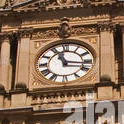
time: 11:16
